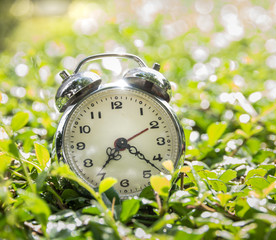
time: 7:21
